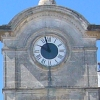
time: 9:57
